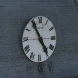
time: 4:54
